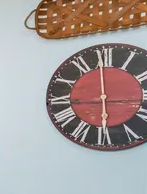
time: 5:59
